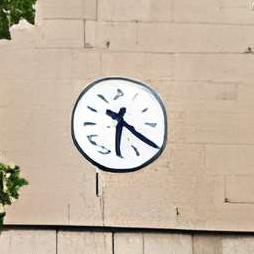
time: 6:20
